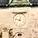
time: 12:47
